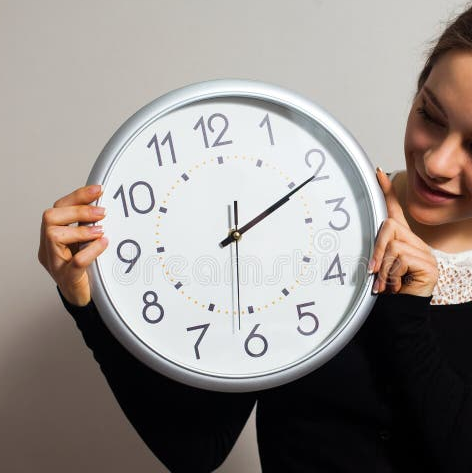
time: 2:10
